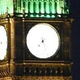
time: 7:26
